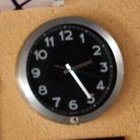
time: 2:24
